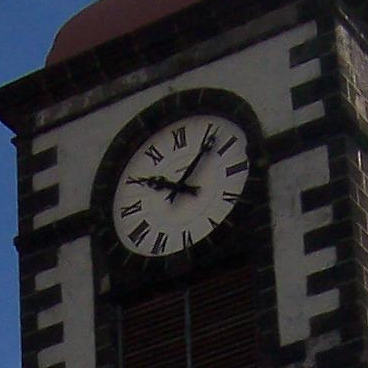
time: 10:07
